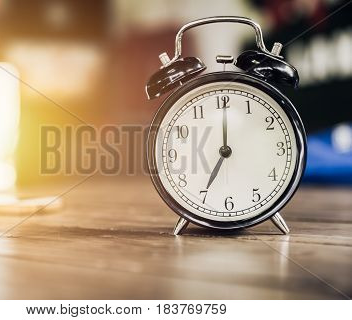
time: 7:00
